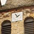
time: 1:56
